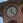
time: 12:22
